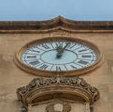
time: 12:02
